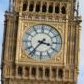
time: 3:36
